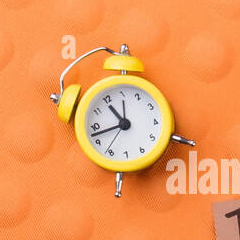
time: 10:42
